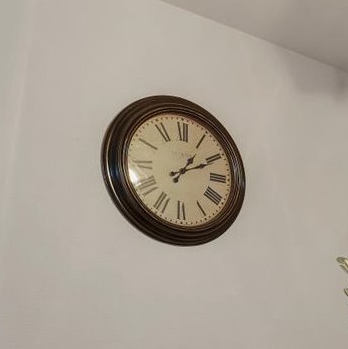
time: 1:10
